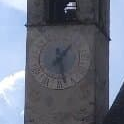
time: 1:28
